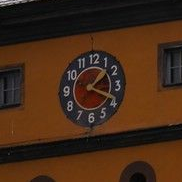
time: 1:18
